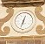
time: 12:32
